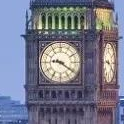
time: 9:20
